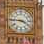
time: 3:45
